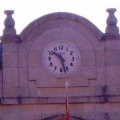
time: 10:27
